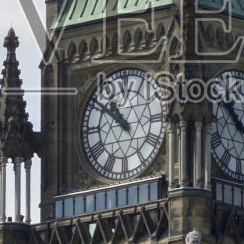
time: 10:51
